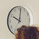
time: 10:00
